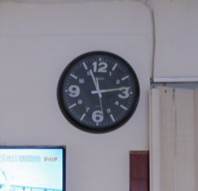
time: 11:13
